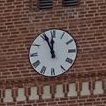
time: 11:55
